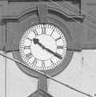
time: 10:20
